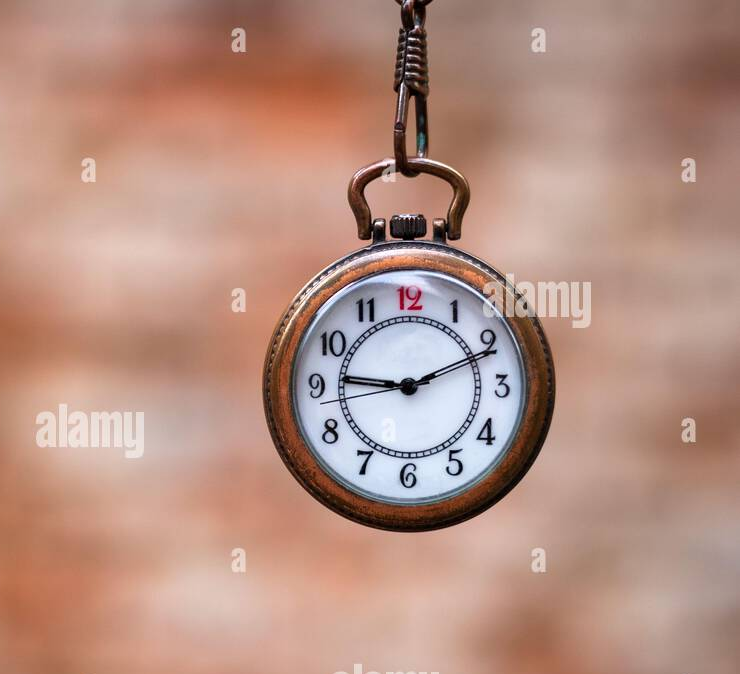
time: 9:11
